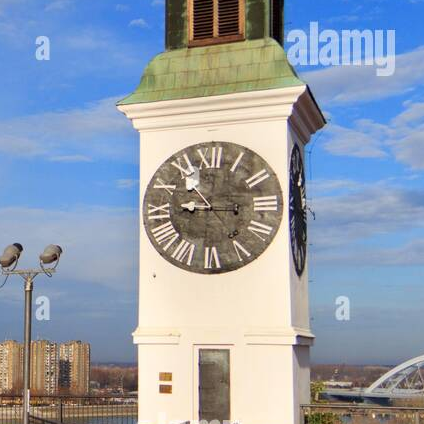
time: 8:54
